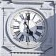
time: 5:00
